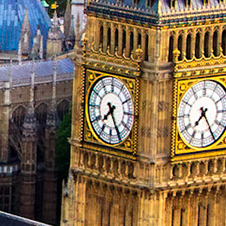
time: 7:25
